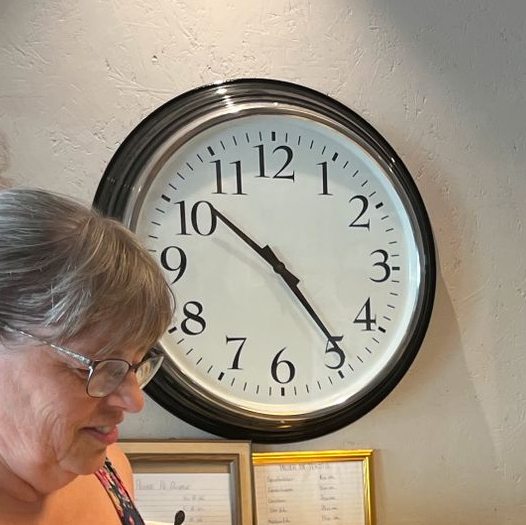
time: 10:23
